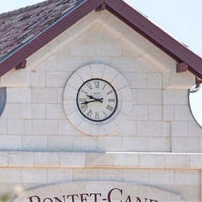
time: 9:42
